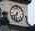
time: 7:32
